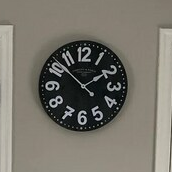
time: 1:52
